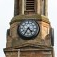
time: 4:35
